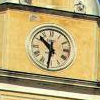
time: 10:31
